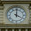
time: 4:00
